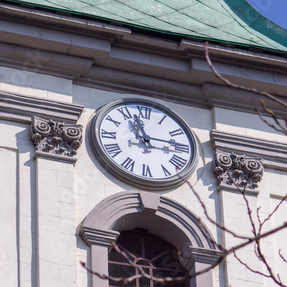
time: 11:16
